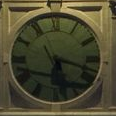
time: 5:18
